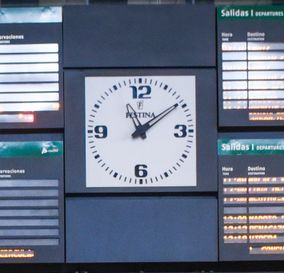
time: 11:09
